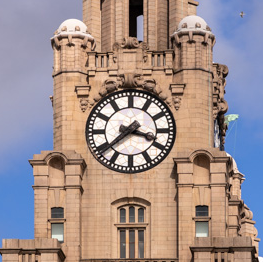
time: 3:38
